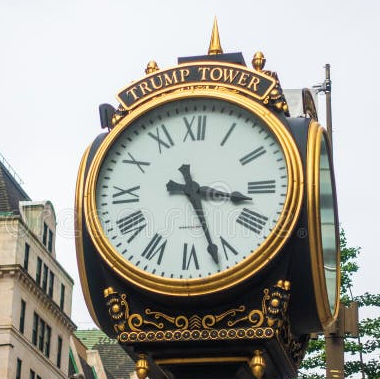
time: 3:26
